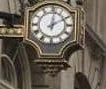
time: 12:10
